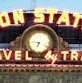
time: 6:46
